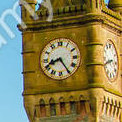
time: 8:24
